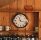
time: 11:17
